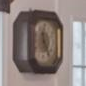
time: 11:22
